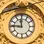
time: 11:45
